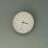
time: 3:33
